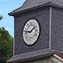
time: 1:46
